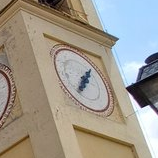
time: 1:06
